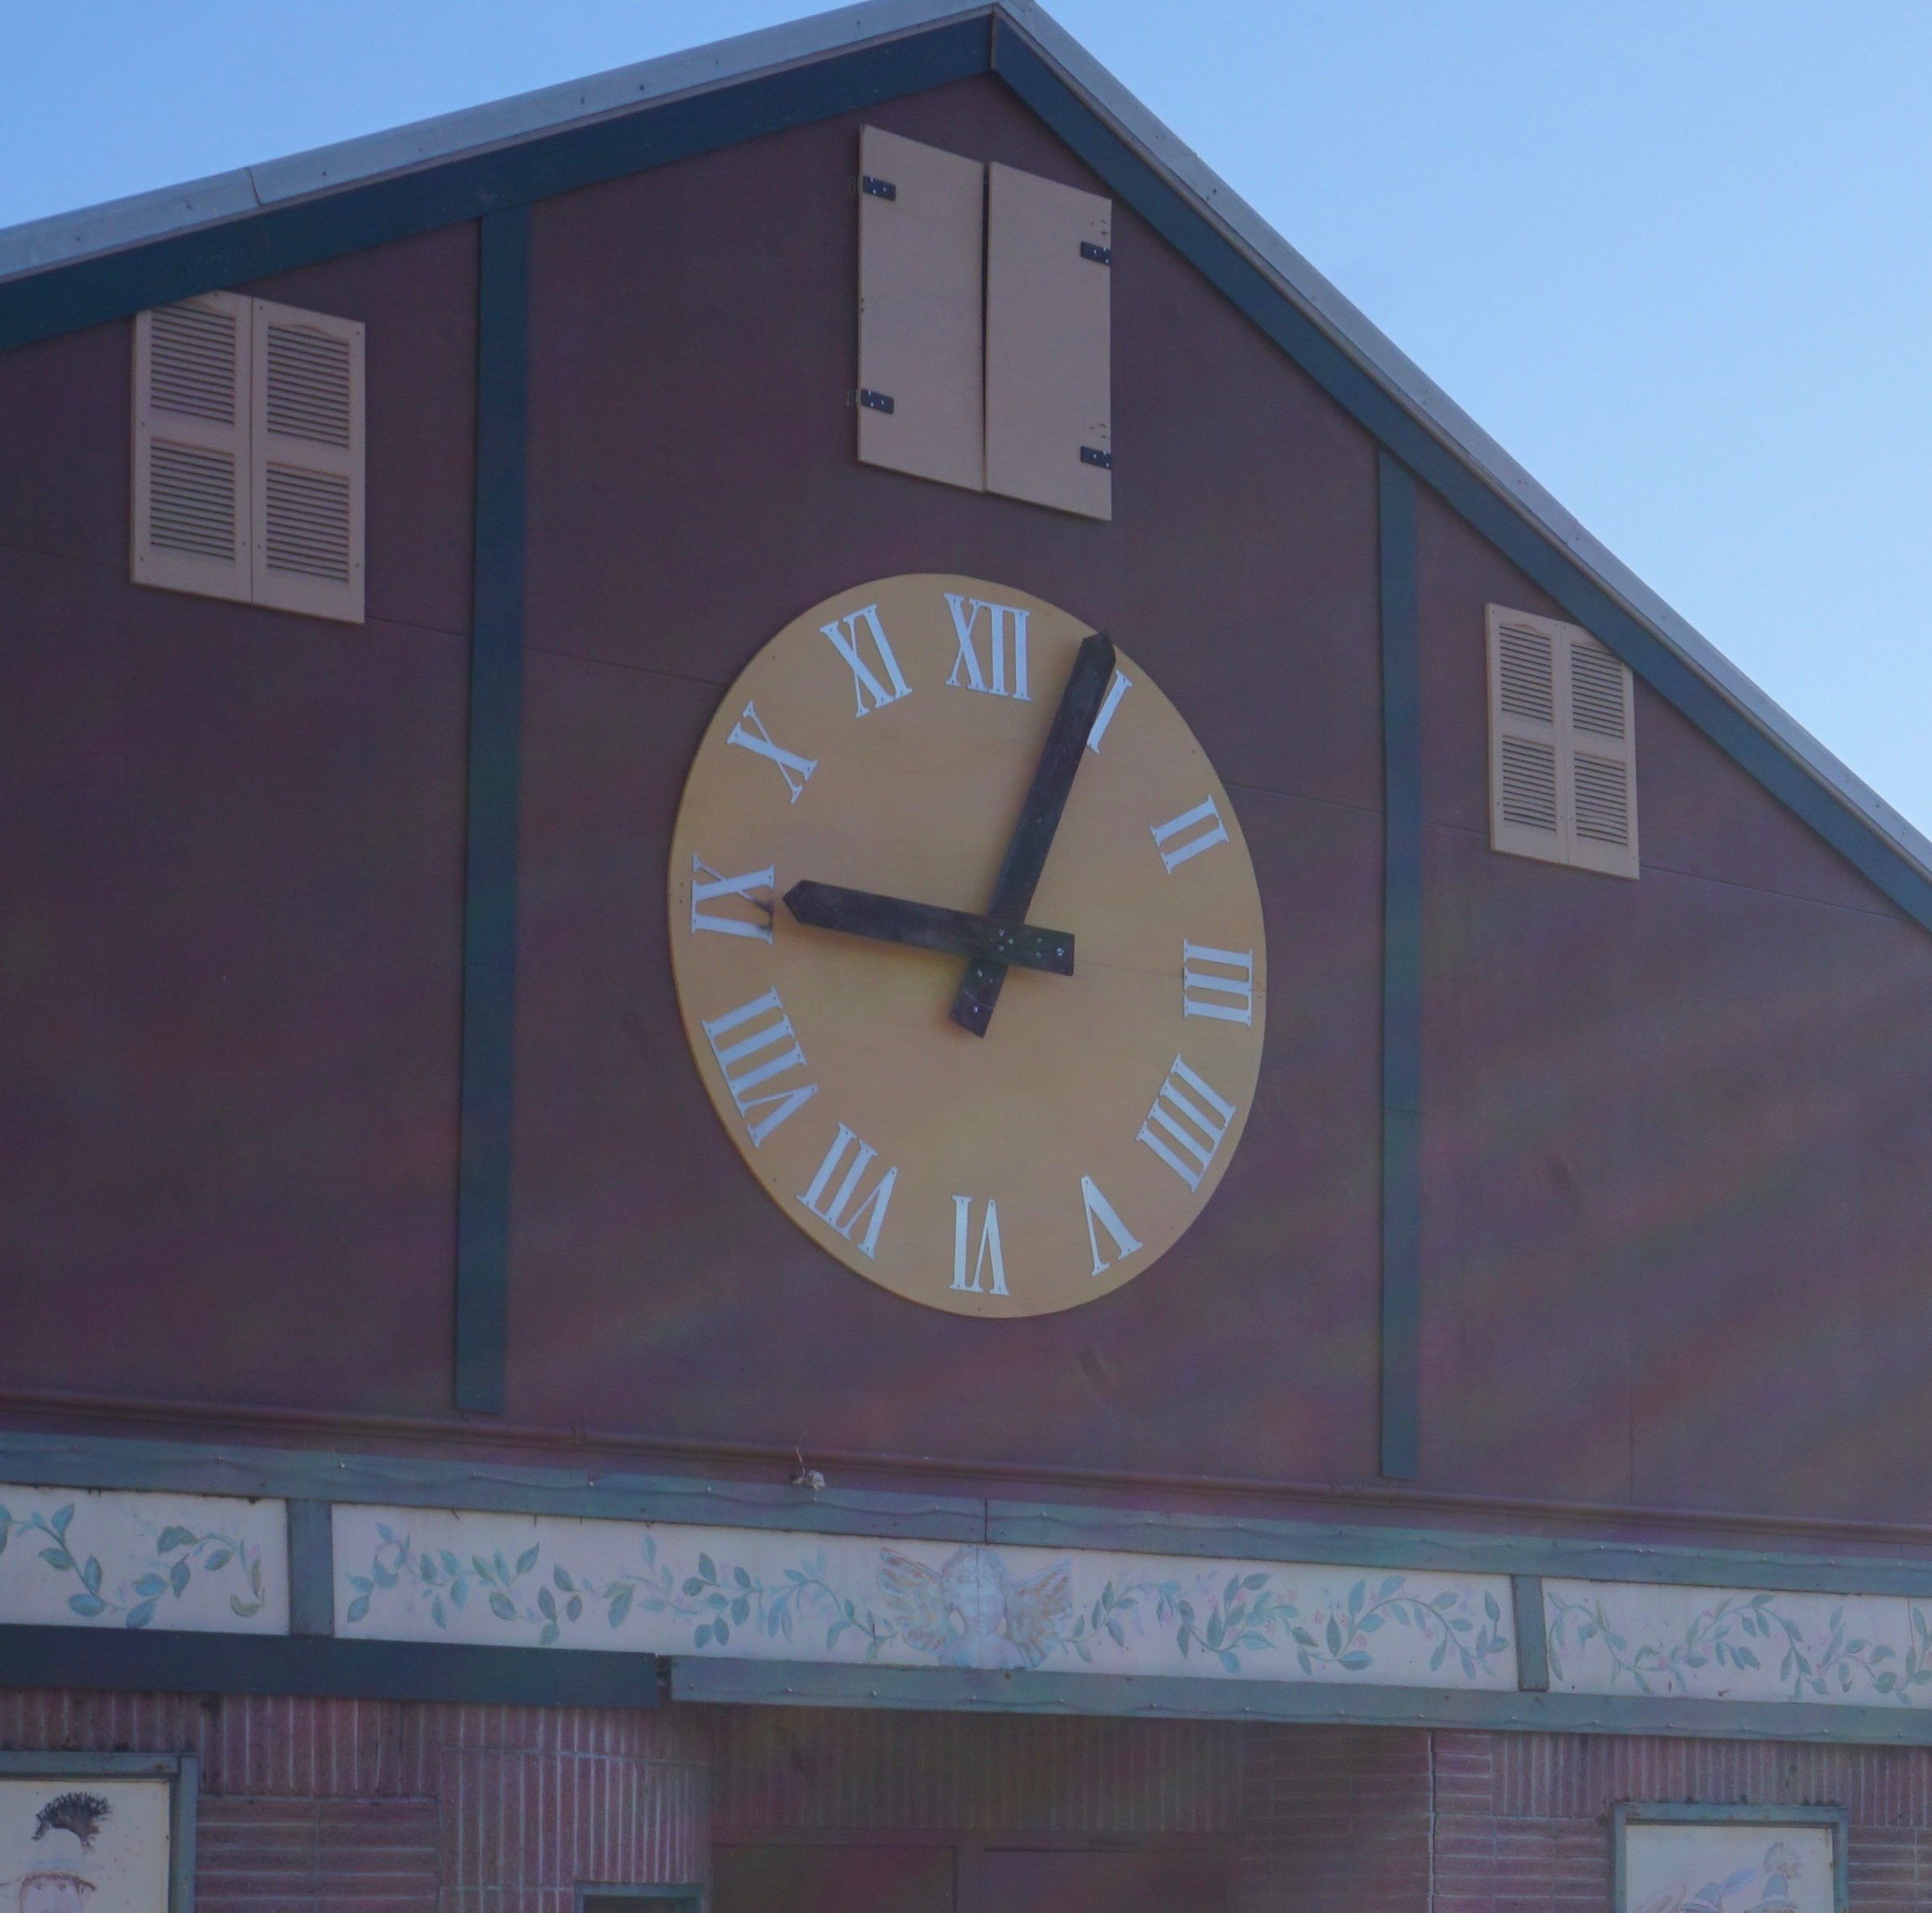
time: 9:04
